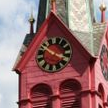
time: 3:49
